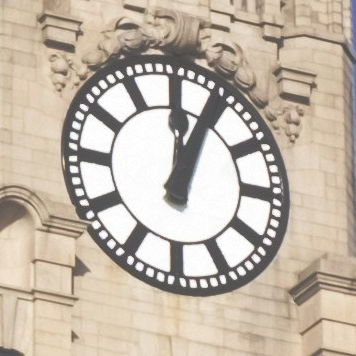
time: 12:04
